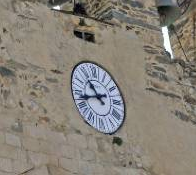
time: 10:42
